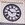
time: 10:13
